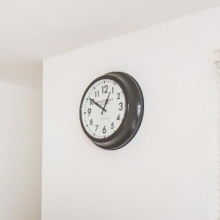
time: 12:50
